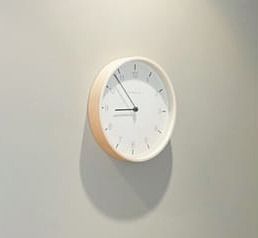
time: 8:53
